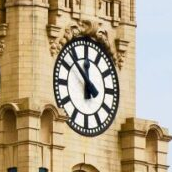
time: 11:52
